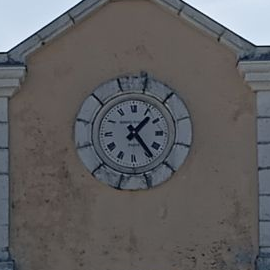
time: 1:23
